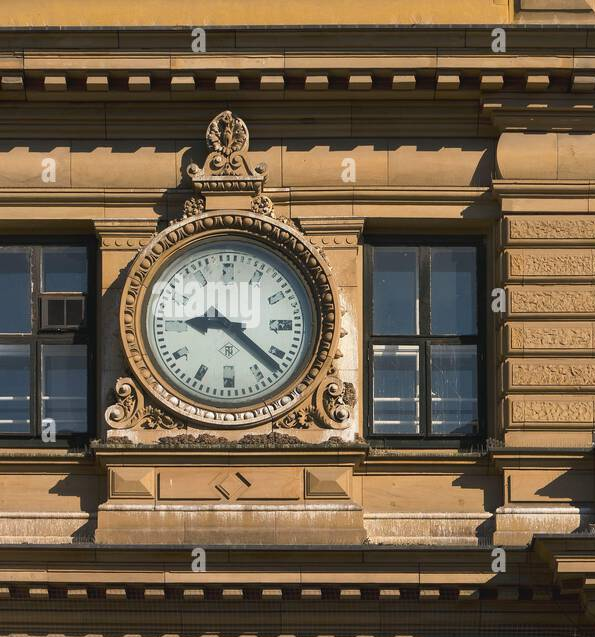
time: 9:22
